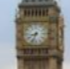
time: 8:33
